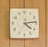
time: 4:13
